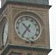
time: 10:36
